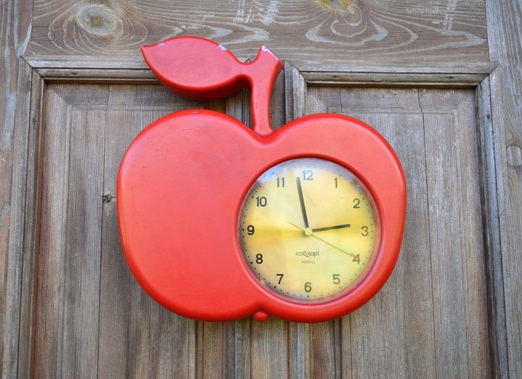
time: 2:58
